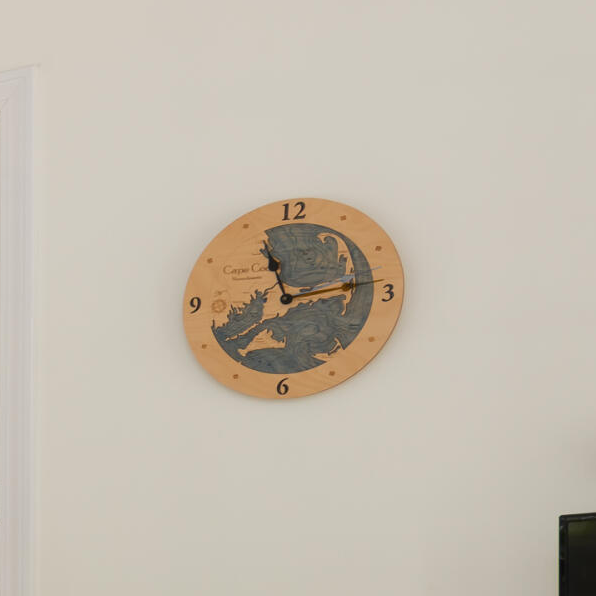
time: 11:13
